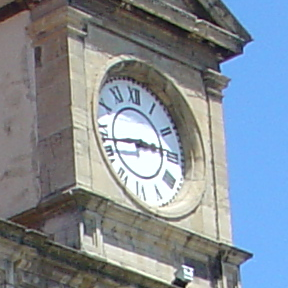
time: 2:42
